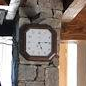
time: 5:14
